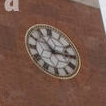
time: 2:53
